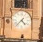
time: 4:37
